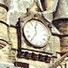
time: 11:35
